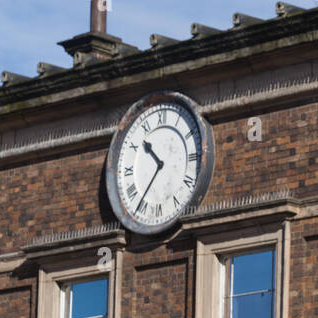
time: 10:36
